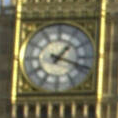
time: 1:18
